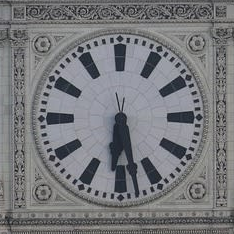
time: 6:28
